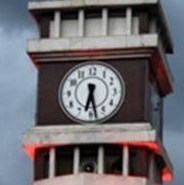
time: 6:28
